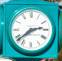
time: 2:38
